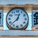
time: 12:37
